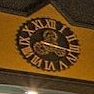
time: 3:16
